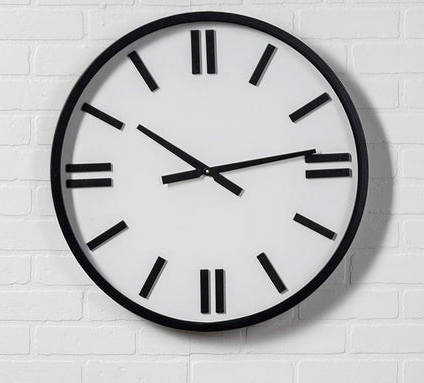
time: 10:13
